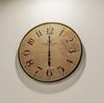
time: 5:59
